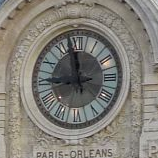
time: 8:58
